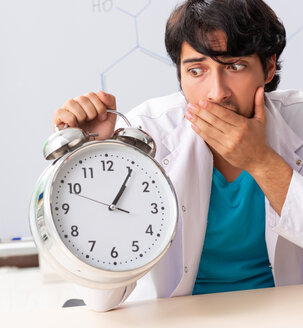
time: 1:05
